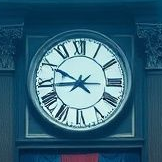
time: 8:49
